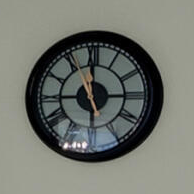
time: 2:58
